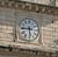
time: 5:45
